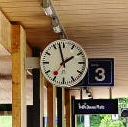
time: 1:57
